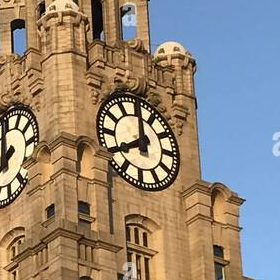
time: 7:59
